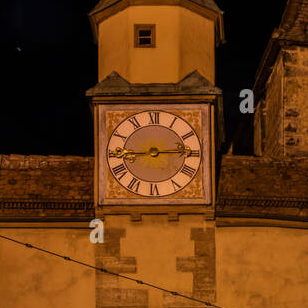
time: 2:44
